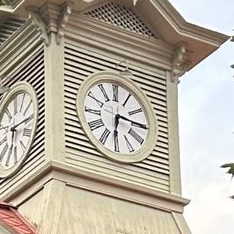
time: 6:15
